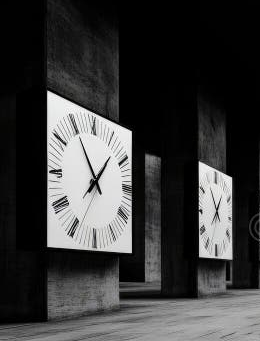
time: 11:07
